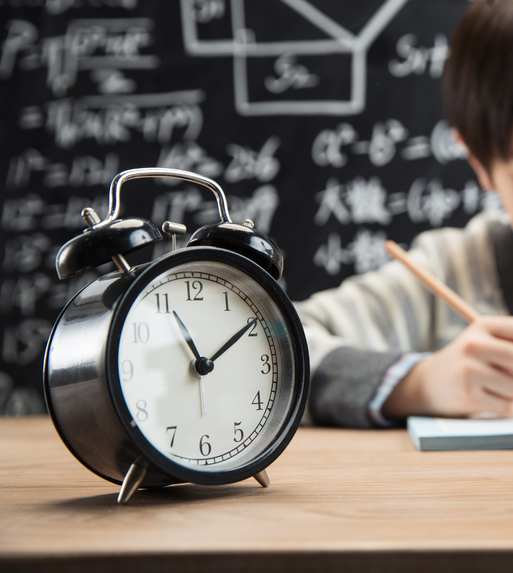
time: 11:09
